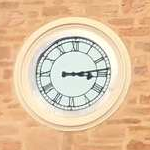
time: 3:13
